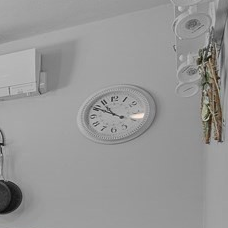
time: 10:49
